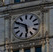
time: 5:49
